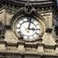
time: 3:02
